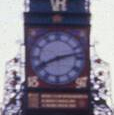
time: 8:12
